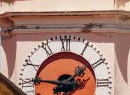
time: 1:46
